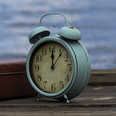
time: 12:06
